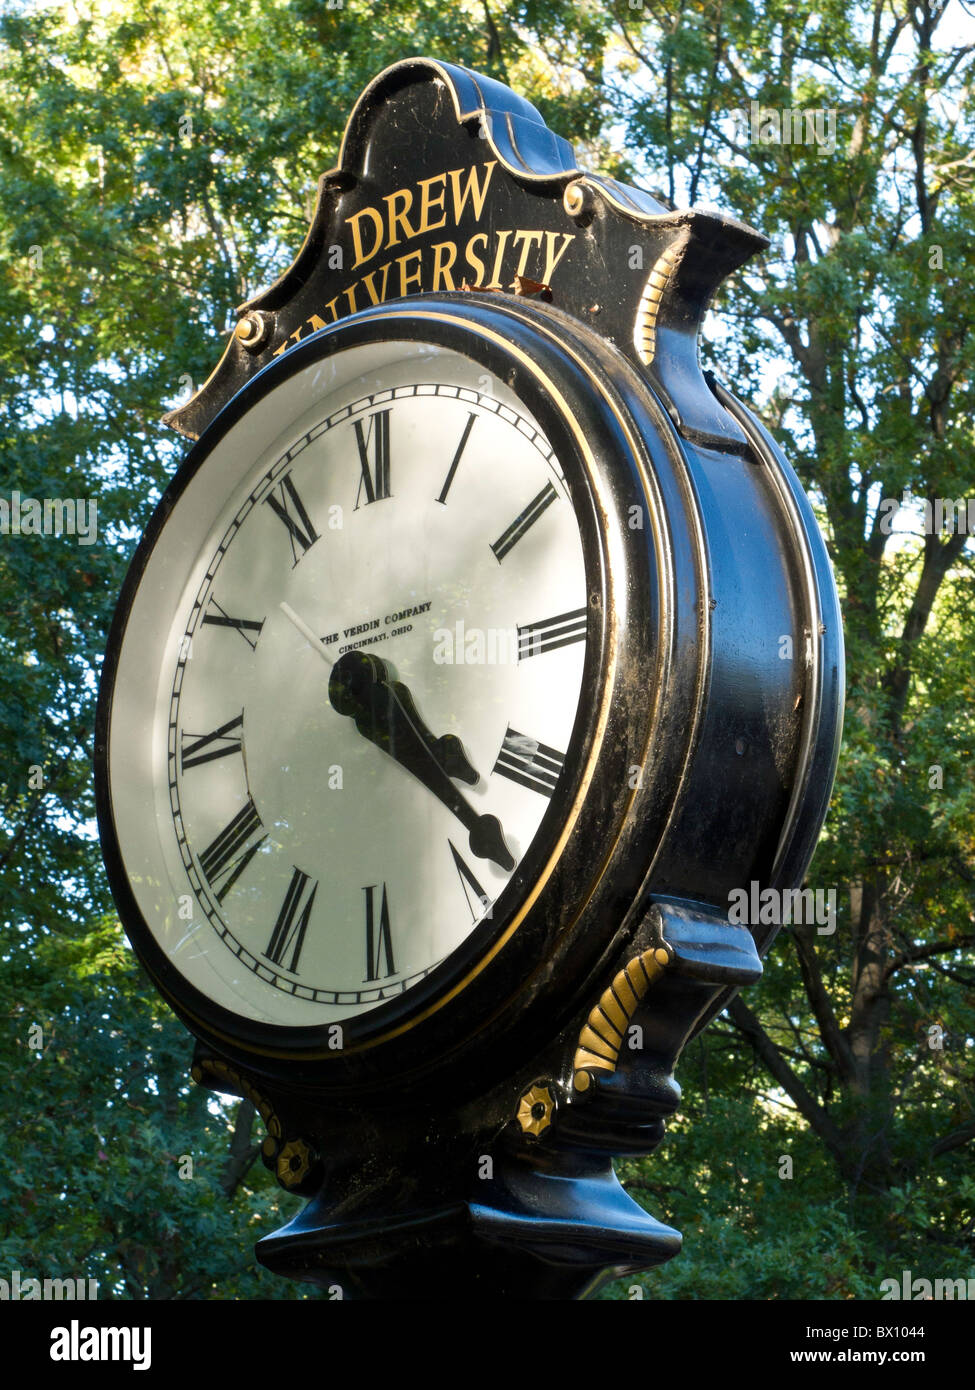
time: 4:22
